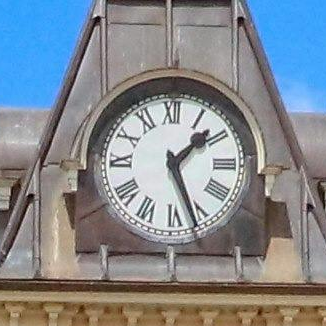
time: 1:26
